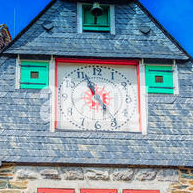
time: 4:56
